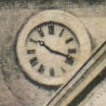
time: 10:17
